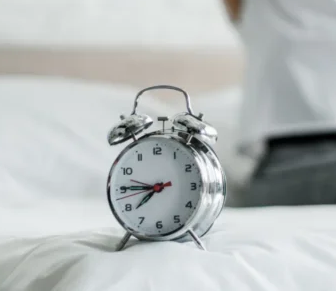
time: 7:45
